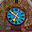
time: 6:50
